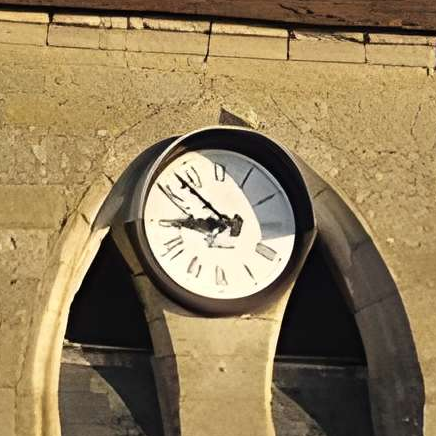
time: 8:52
